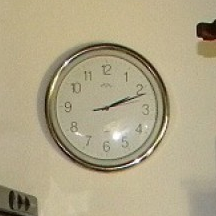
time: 2:11
